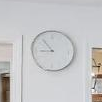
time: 8:53
